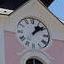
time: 1:08
